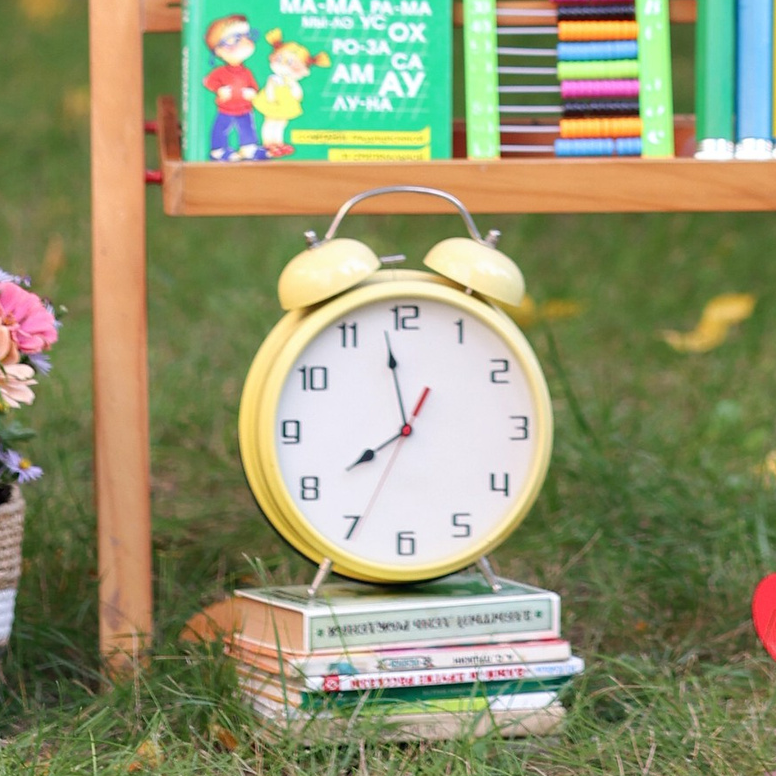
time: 7:58
